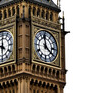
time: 11:20
